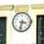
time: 3:32
